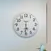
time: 5:31
